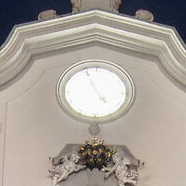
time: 4:55
